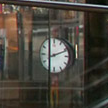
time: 8:11
